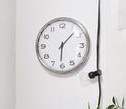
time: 6:07
